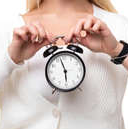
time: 5:57
